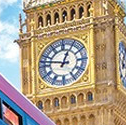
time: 12:47
